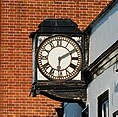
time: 6:10
